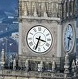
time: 3:33
